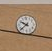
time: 9:38
